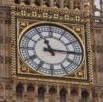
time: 11:15
